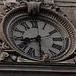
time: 8:30
